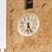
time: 6:25
